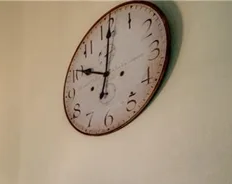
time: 10:00
